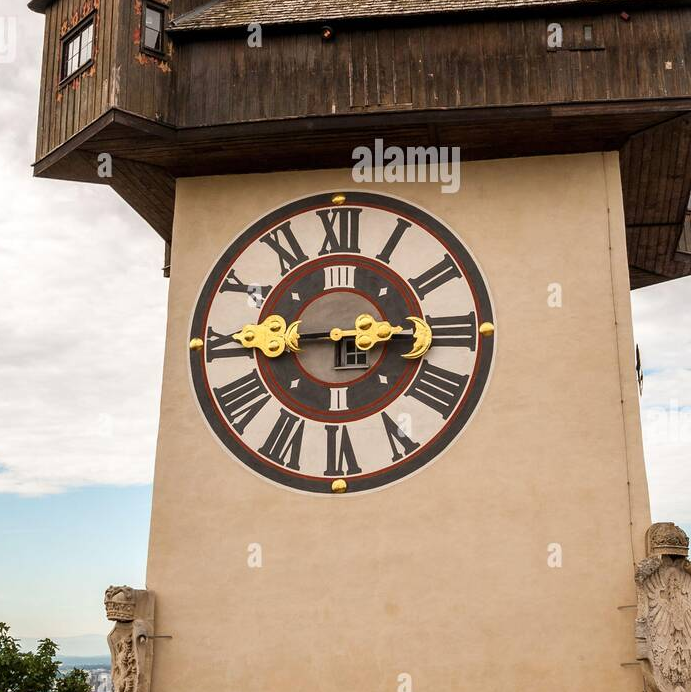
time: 2:45
